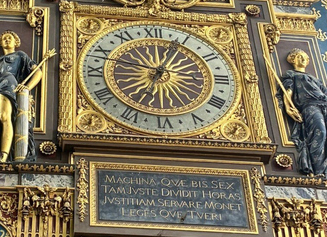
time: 12:48
